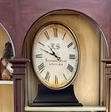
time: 10:48
